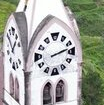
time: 2:12
